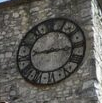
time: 9:16
